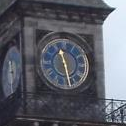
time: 11:28
